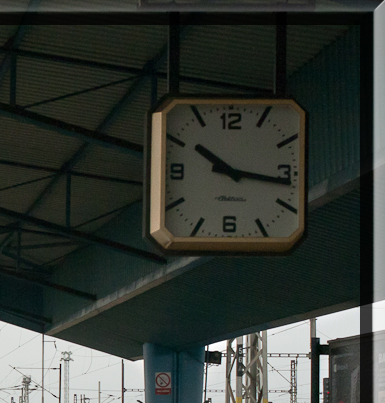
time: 10:16
